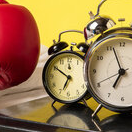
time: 6:50
